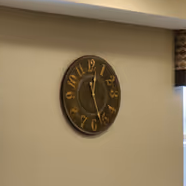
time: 12:27
